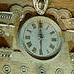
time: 5:59
